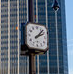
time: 2:07
